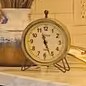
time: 11:26
